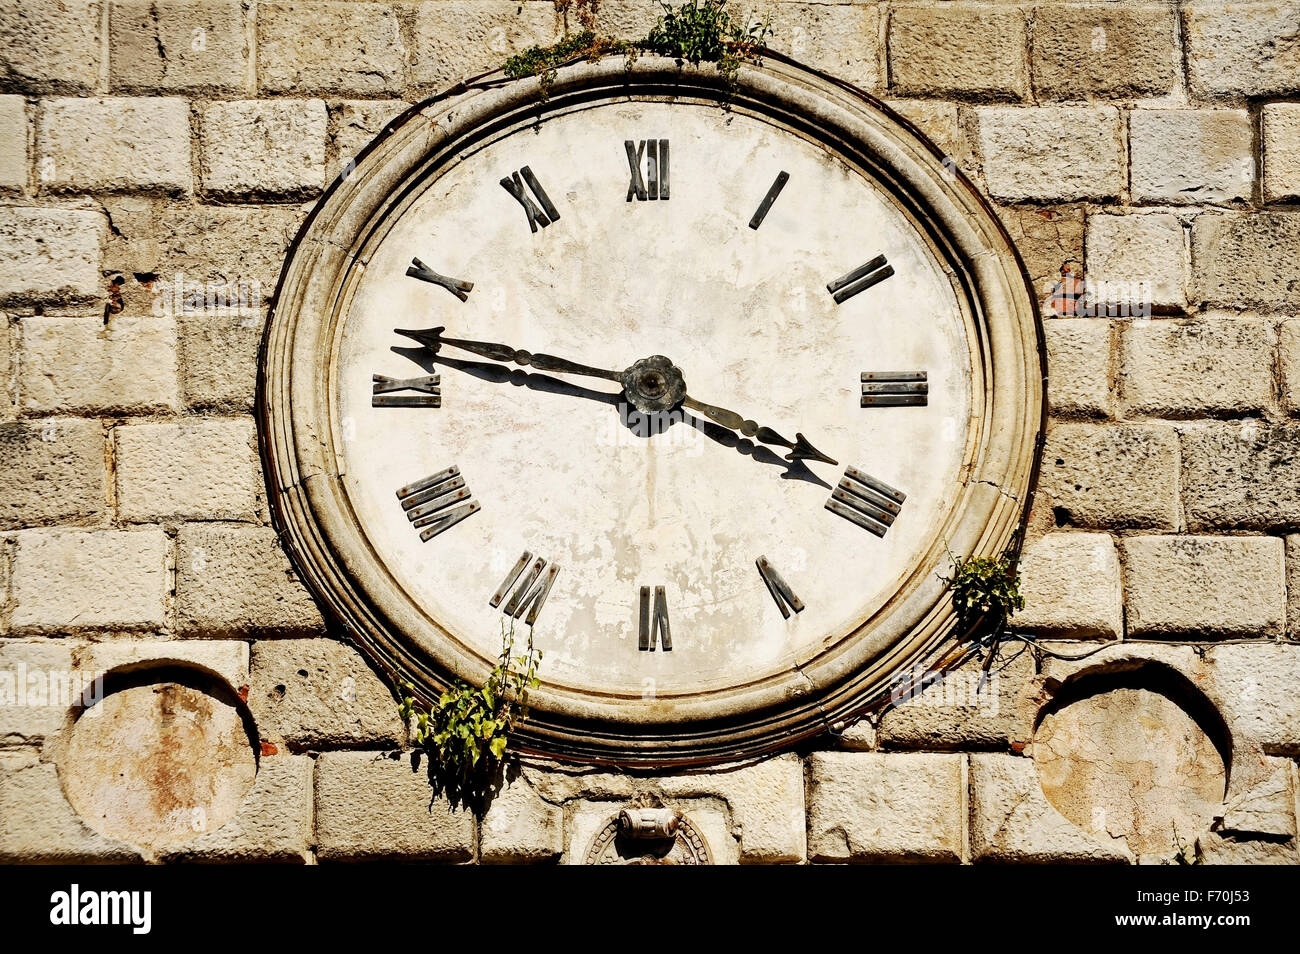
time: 3:46
